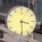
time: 3:29
